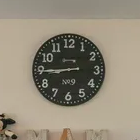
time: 8:44
